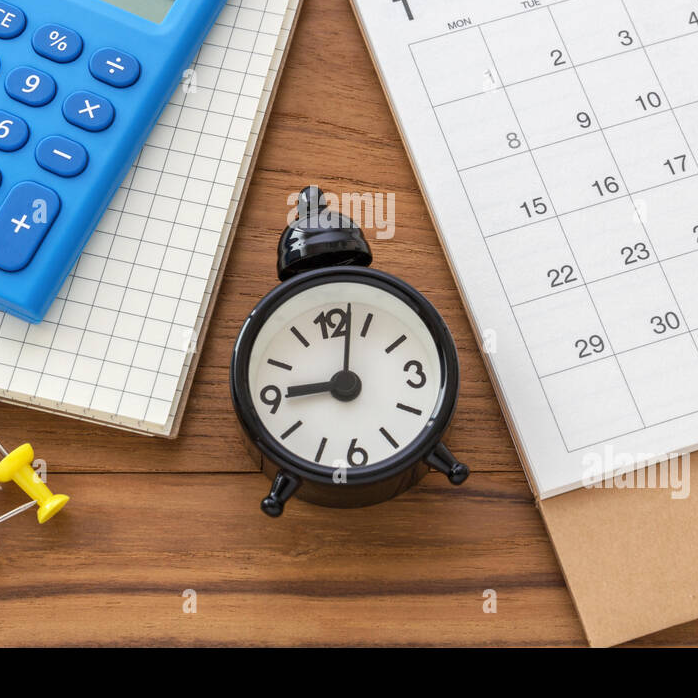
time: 9:01
